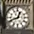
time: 12:41
